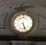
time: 5:26
